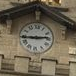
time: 2:44
